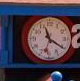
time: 11:20
